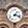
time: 1:18
